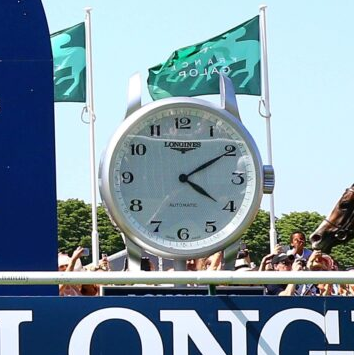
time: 4:09
